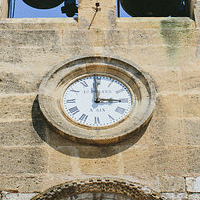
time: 2:59
